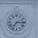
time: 7:15
